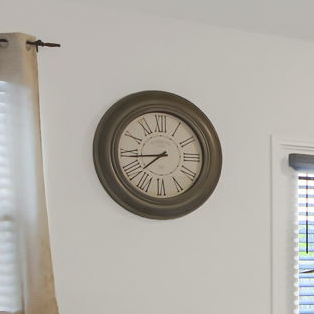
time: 7:43
